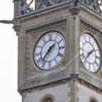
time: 1:37
